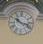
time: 10:17
